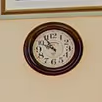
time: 10:49
